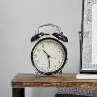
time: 10:29
